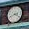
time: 3:40
